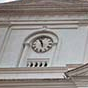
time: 11:56
